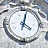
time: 4:02
